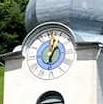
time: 1:02
